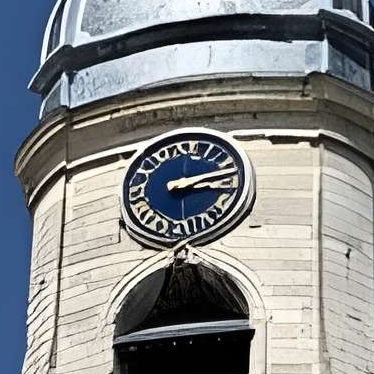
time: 3:12
